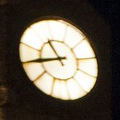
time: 10:44
